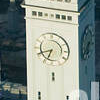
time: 6:41
